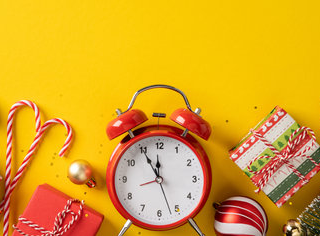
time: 11:55
